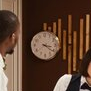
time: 3:21
